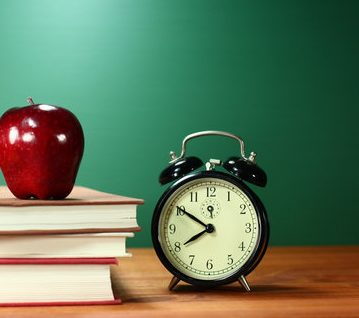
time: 7:50
